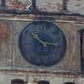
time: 10:16
